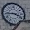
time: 3:44
